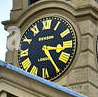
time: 3:24
